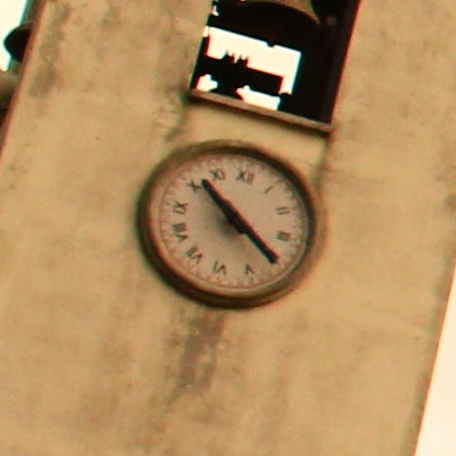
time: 10:20
